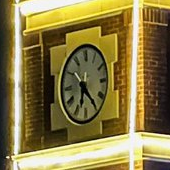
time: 6:23
